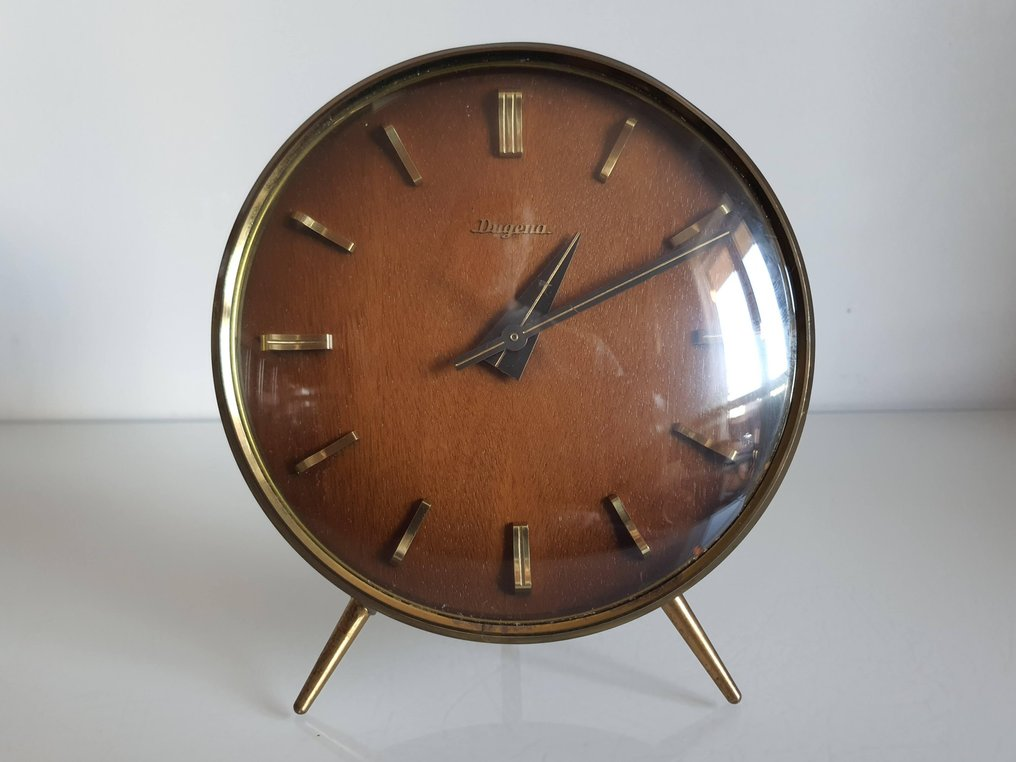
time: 1:10
